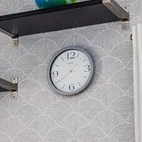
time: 1:39
